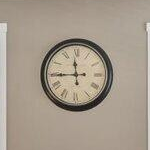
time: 11:44
